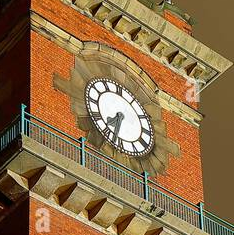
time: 7:32
